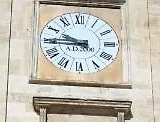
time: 9:45
